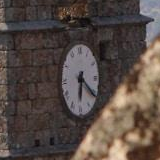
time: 6:21
